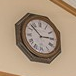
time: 2:52
